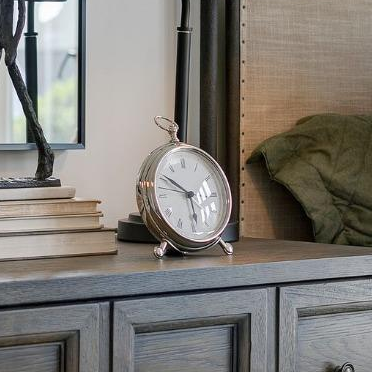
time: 2:48
